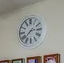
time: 2:38
